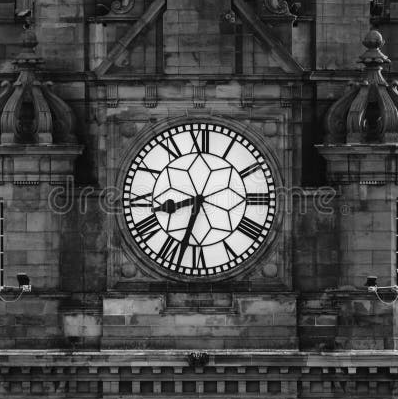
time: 8:32
